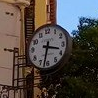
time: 3:32
